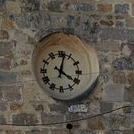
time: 4:02
